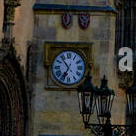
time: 6:53
